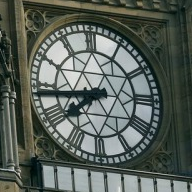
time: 7:43
